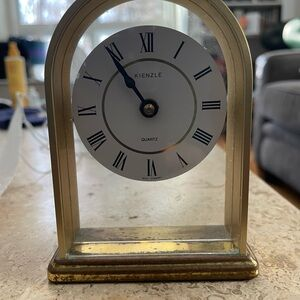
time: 10:54
